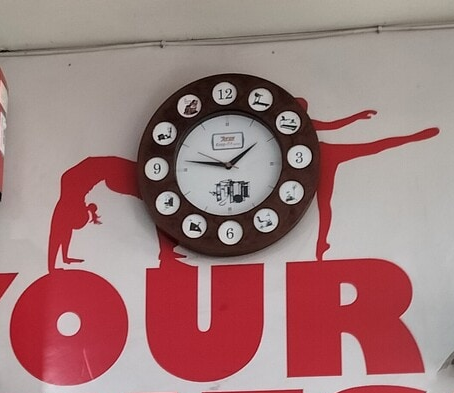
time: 1:46
